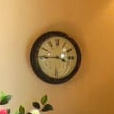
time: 3:45
